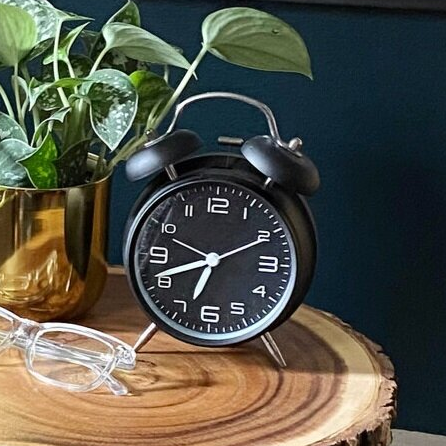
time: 6:41
